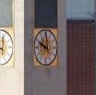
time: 10:00
